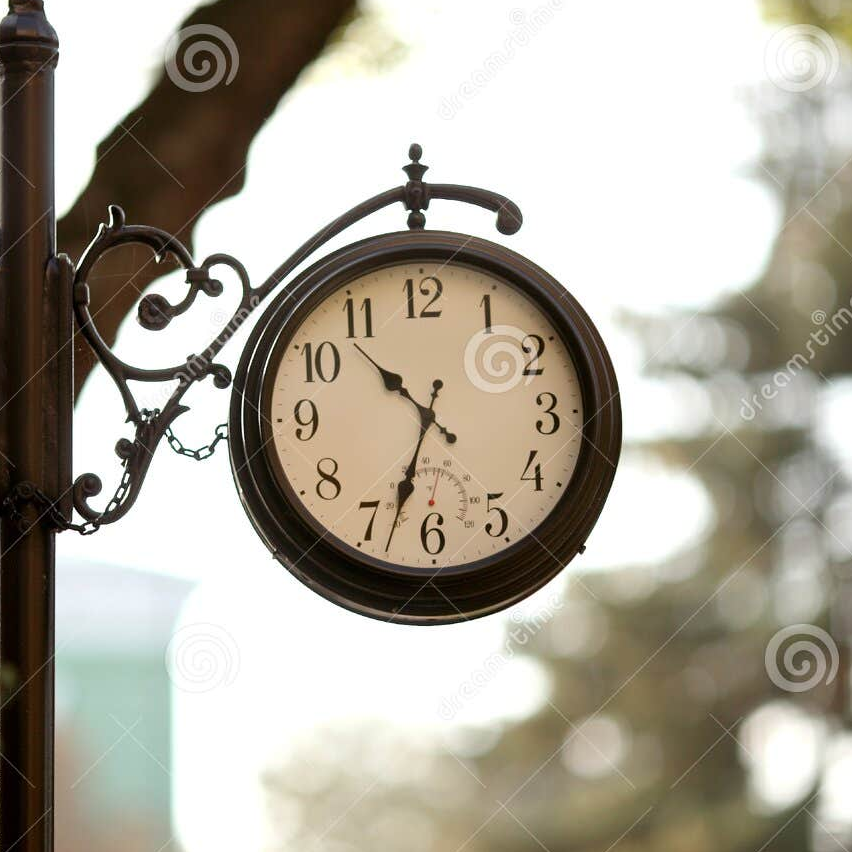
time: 10:33
